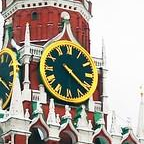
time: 4:21
